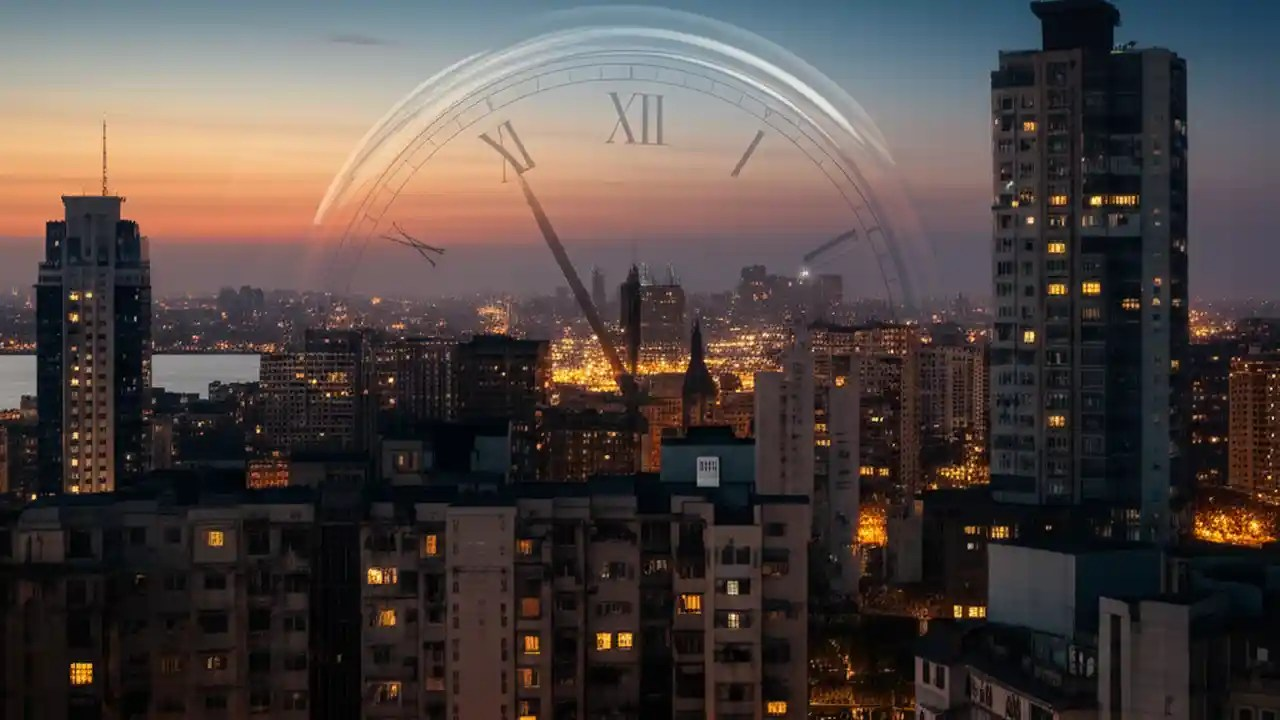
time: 11:55
